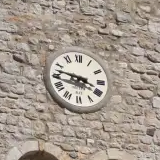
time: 3:47
